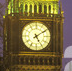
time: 5:09
